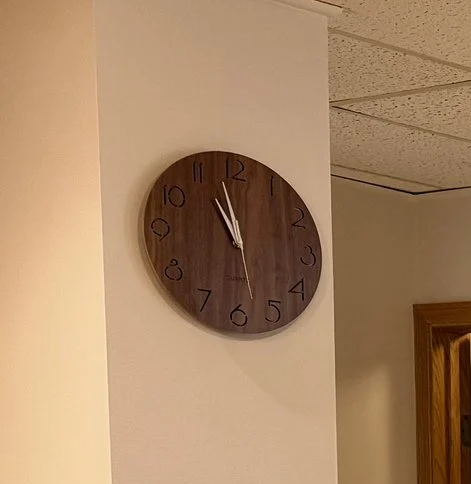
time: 10:57
